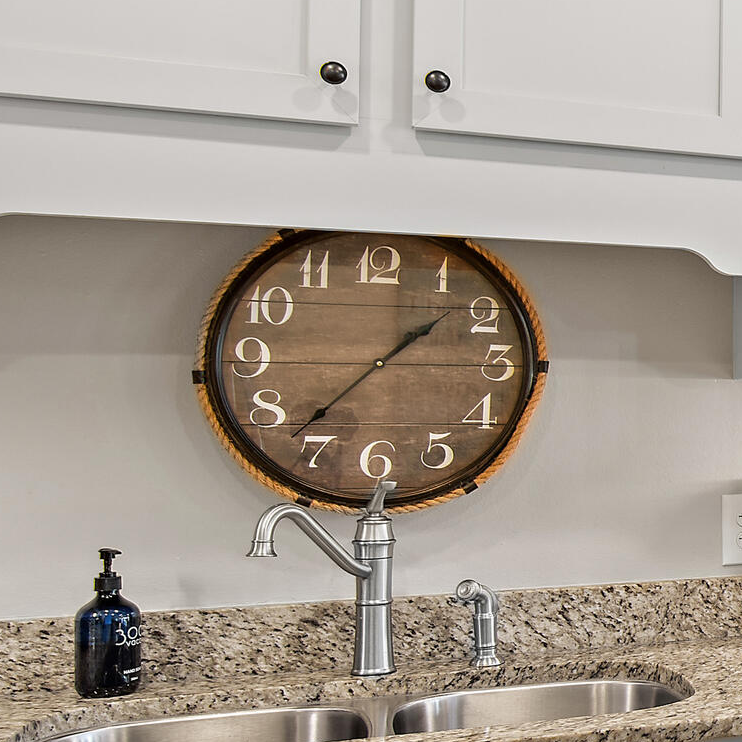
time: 1:36
